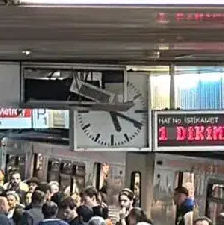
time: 5:18
